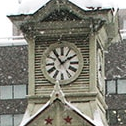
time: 1:54
